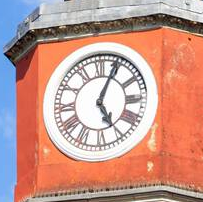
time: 5:04
